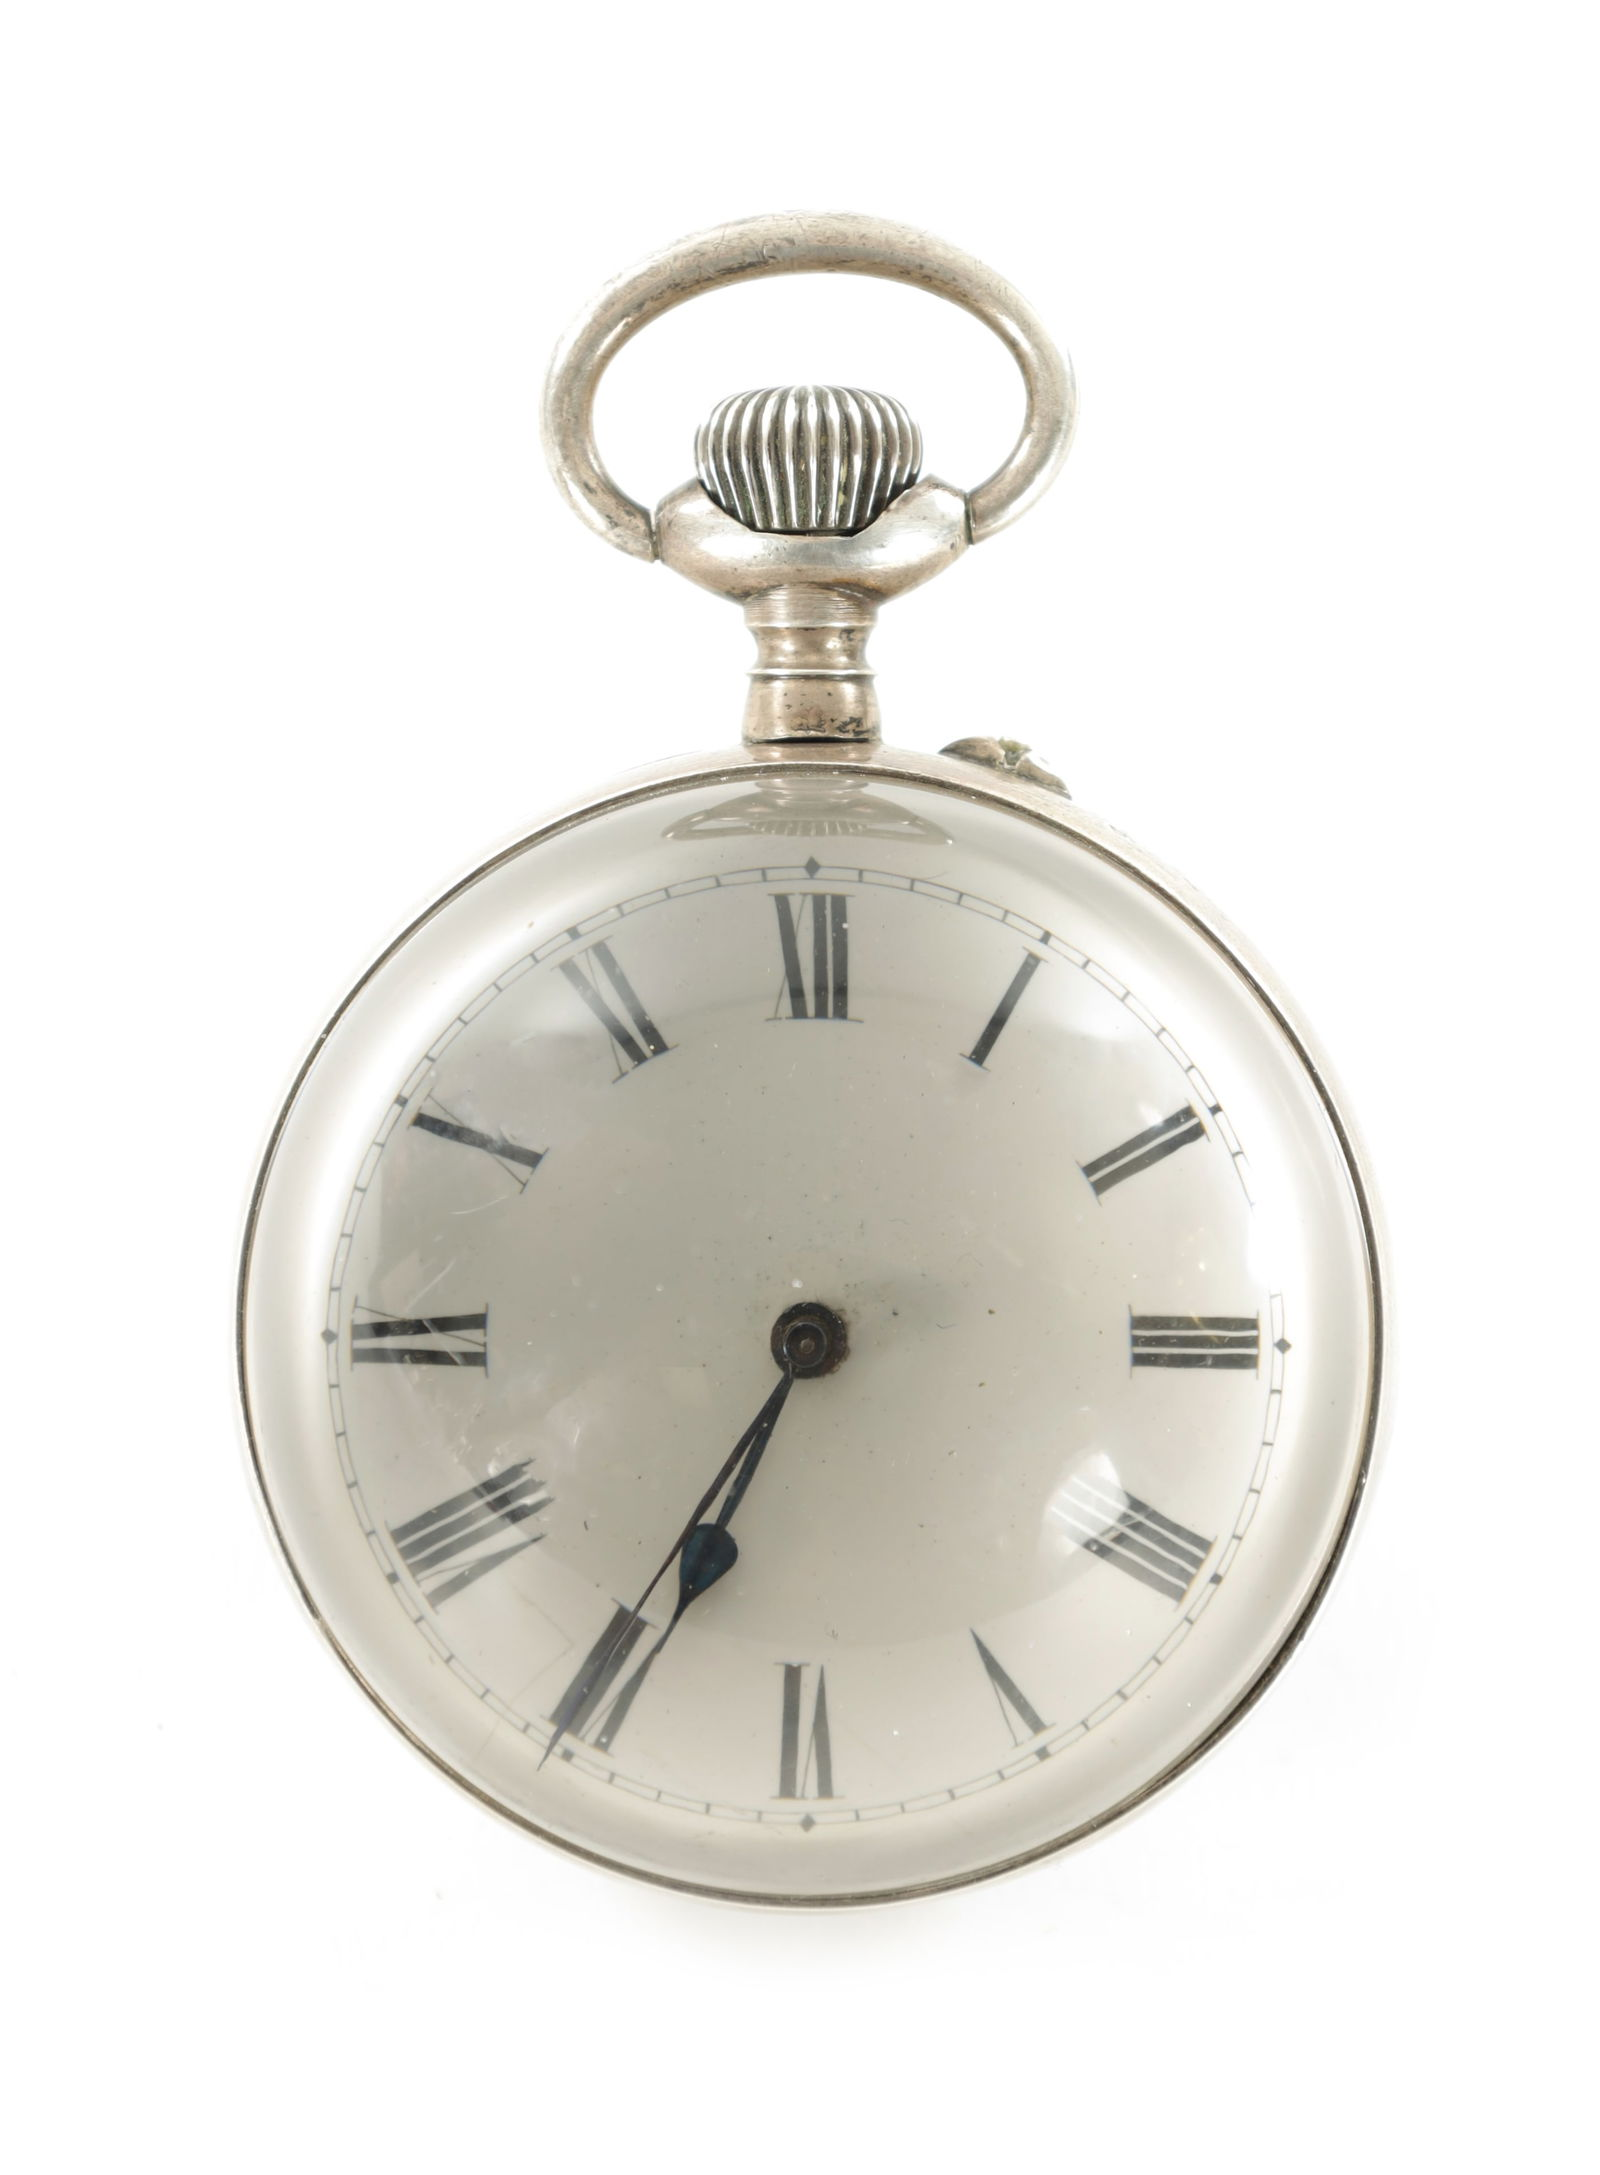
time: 6:34
